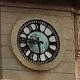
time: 5:45
